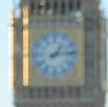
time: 1:13
